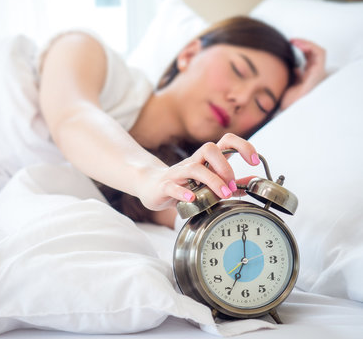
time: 7:00
